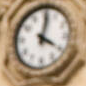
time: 4:02
